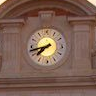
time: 7:42
